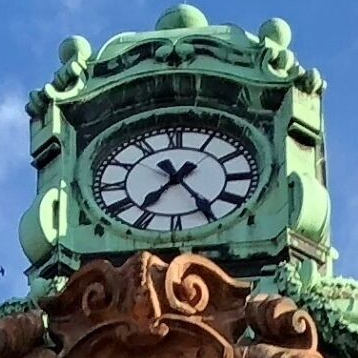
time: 7:24
